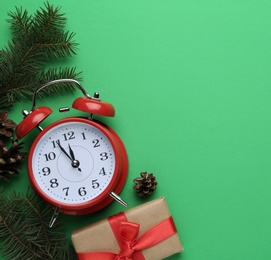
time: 11:55
